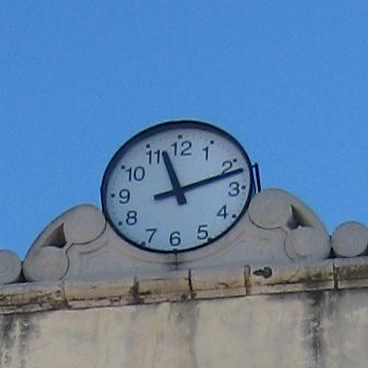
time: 11:12
